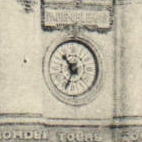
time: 10:34
